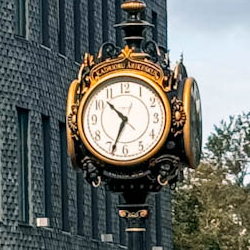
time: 10:34
